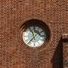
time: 11:36
